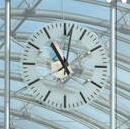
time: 11:01
